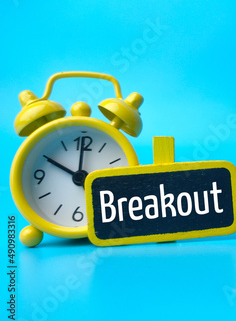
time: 10:00
